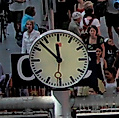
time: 11:52
